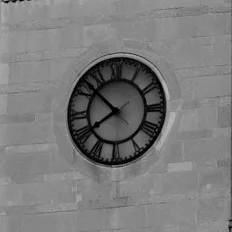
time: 7:52
